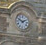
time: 1:50
